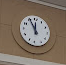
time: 11:55
